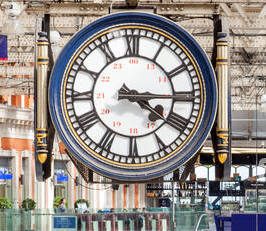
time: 4:14
